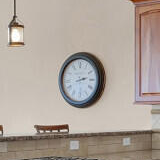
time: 2:29
